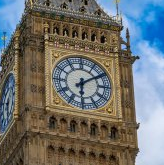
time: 6:09
